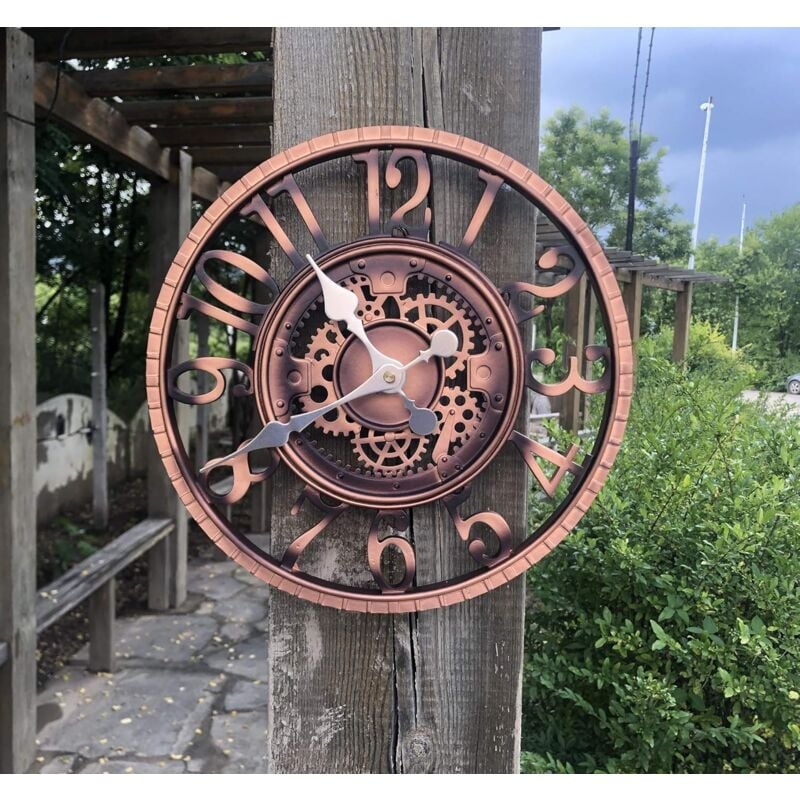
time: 10:40
